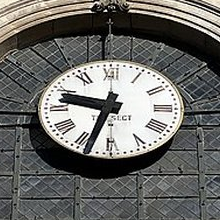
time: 9:33
